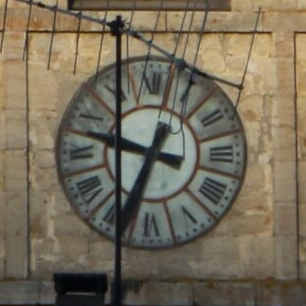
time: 9:34
